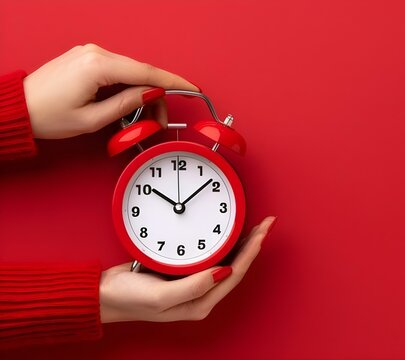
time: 10:08
